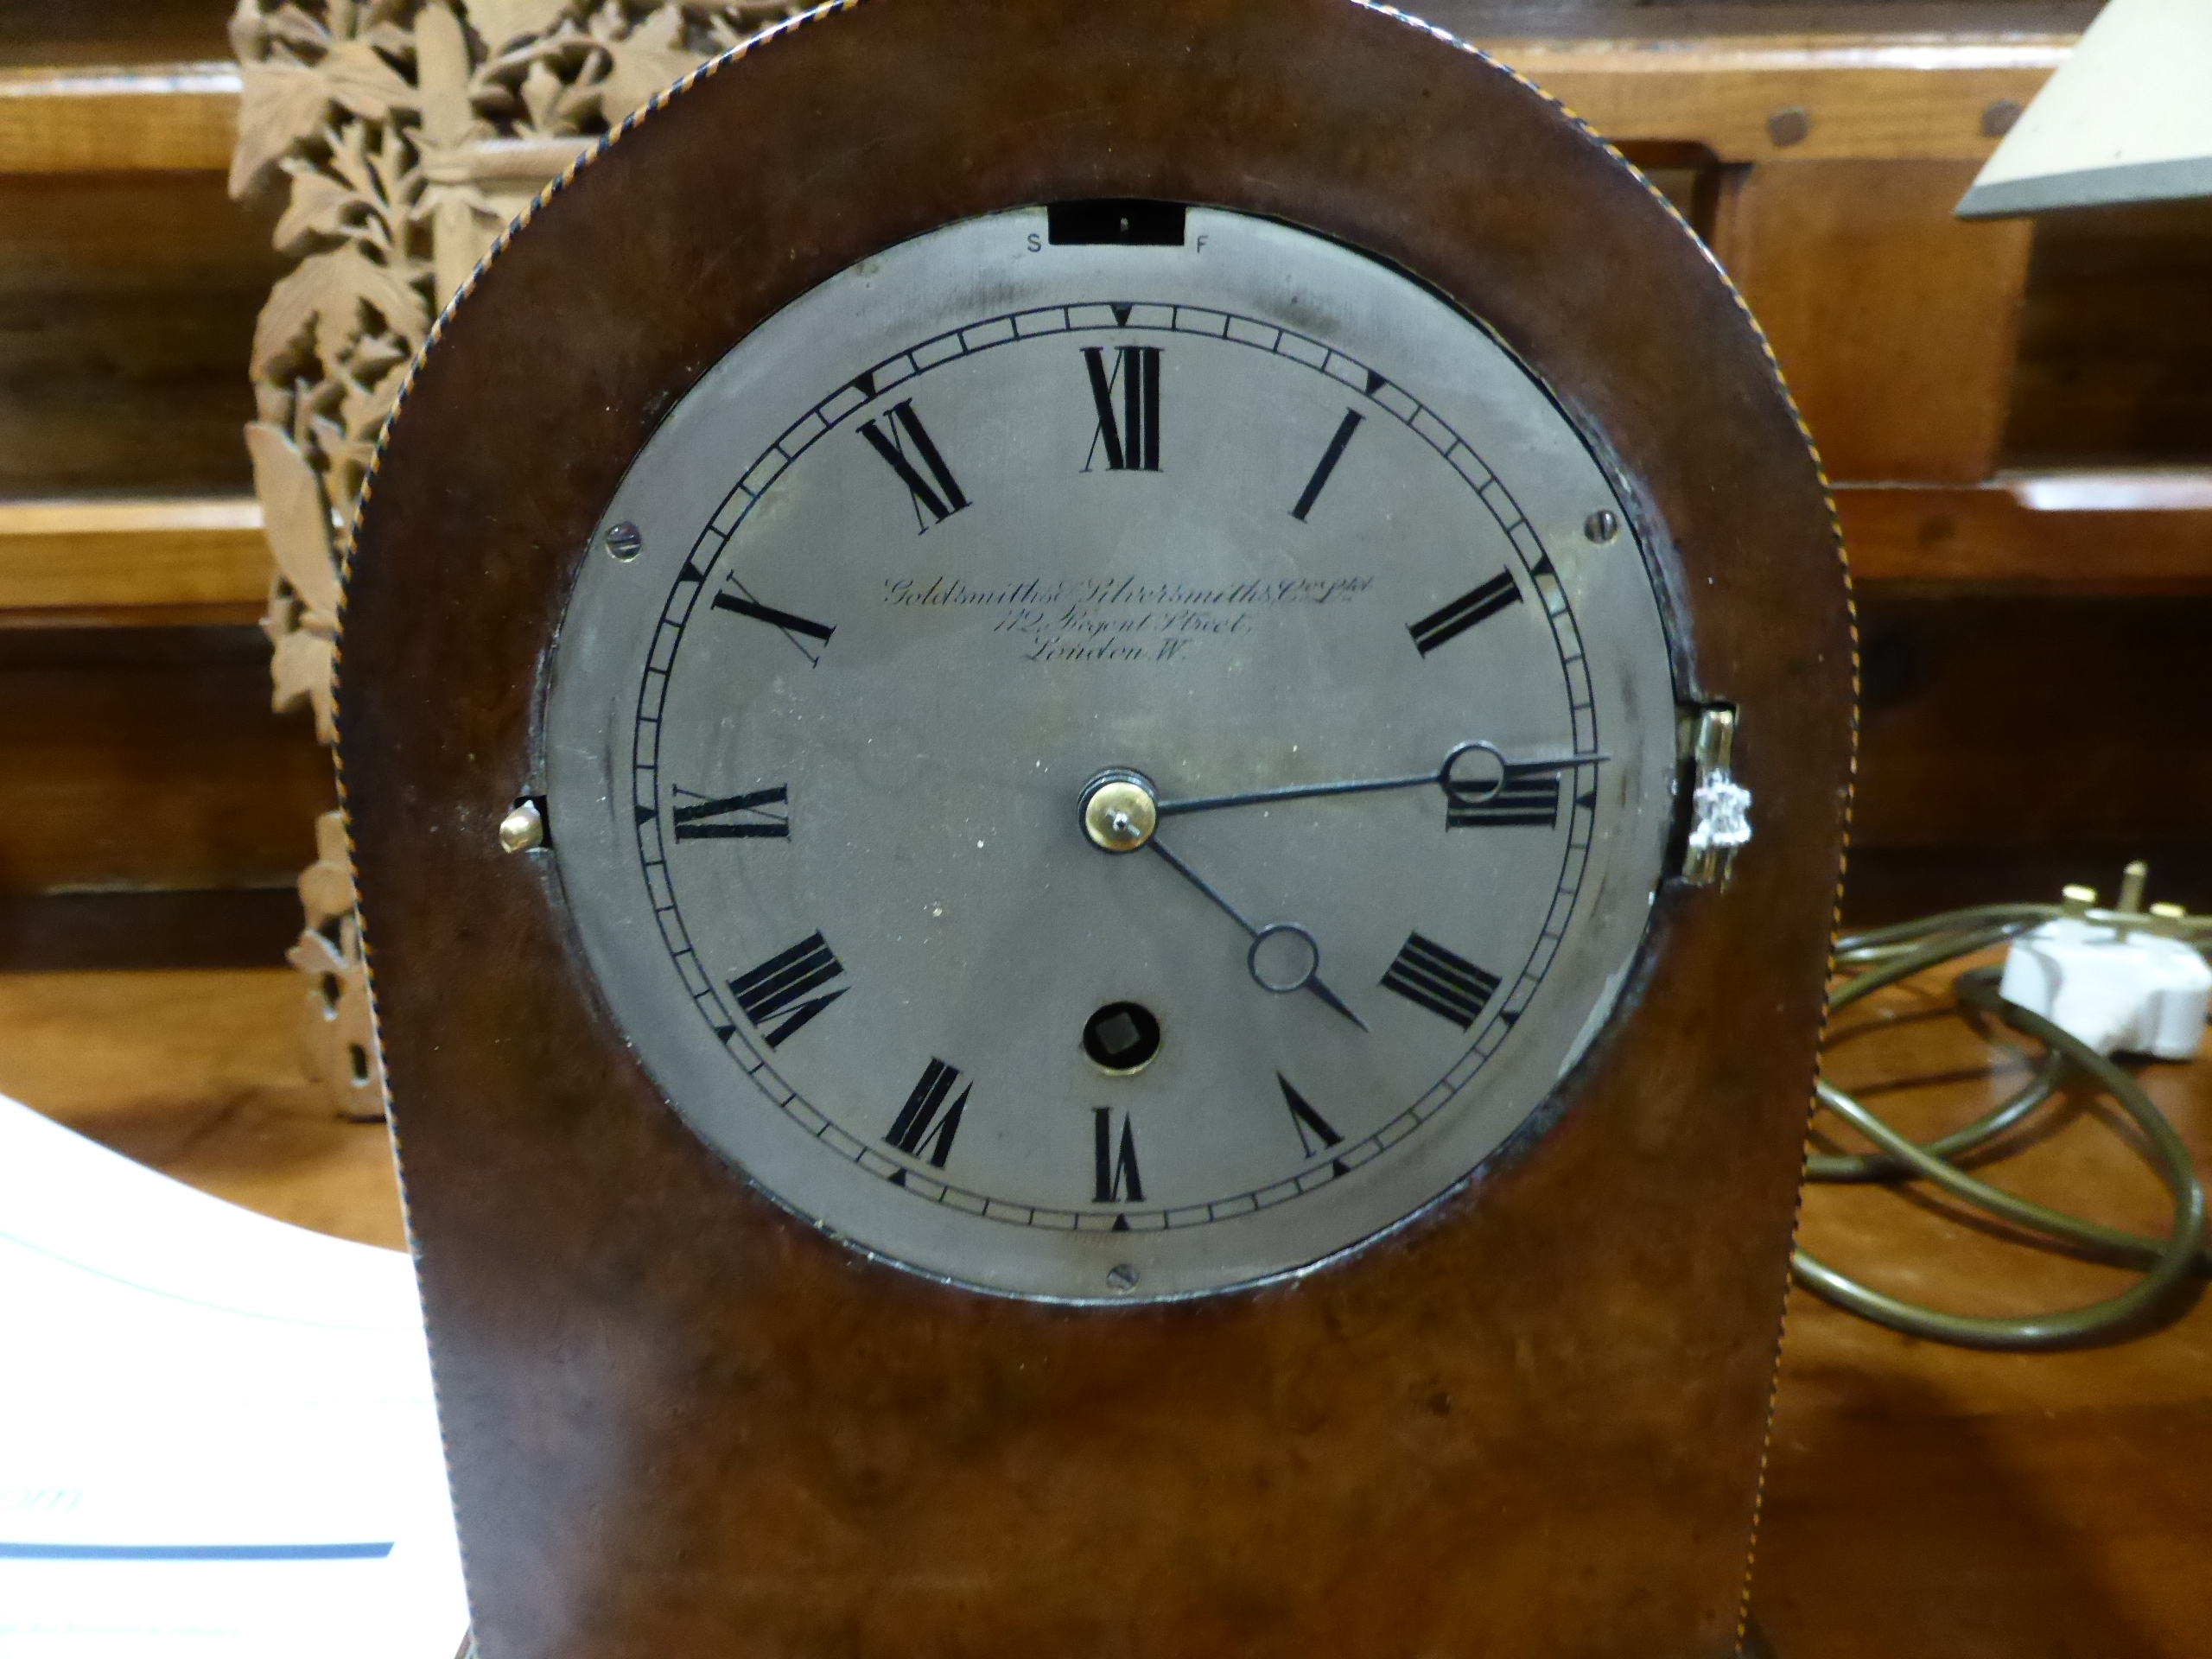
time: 4:14
